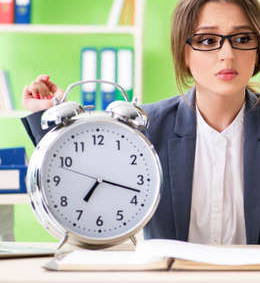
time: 7:17
